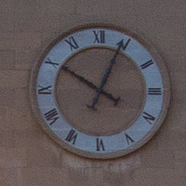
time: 10:04
